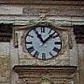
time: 11:07
